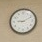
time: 9:10
